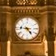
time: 4:46
